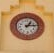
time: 1:13
